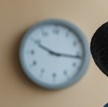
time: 3:16
